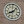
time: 8:07
